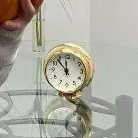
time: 11:53
